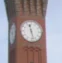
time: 11:27
